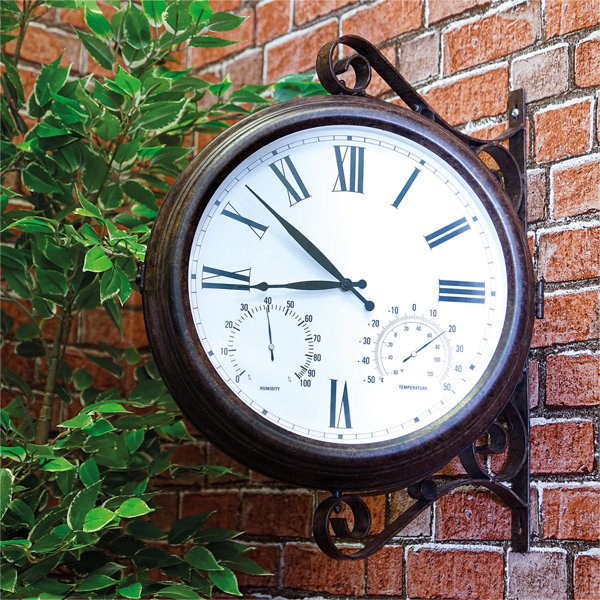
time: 8:52
